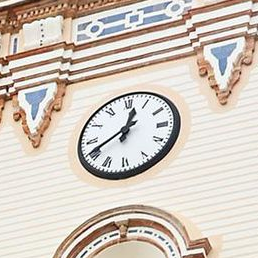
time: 12:40
